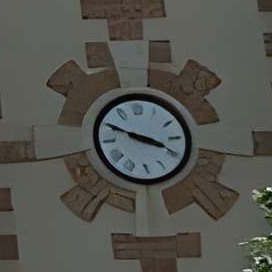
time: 3:49
